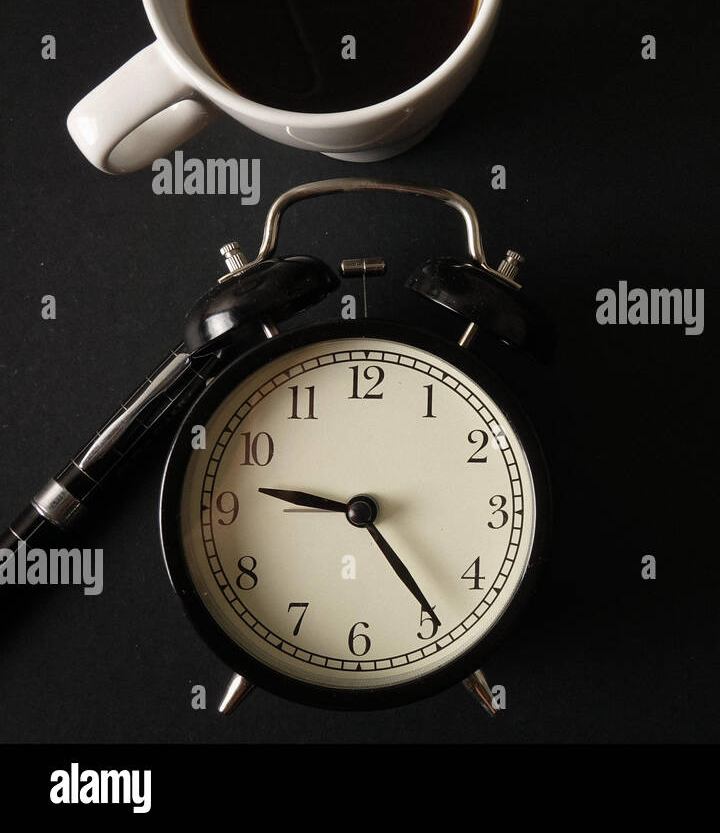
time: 9:24
